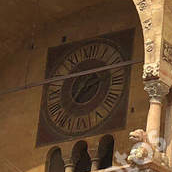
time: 7:12
